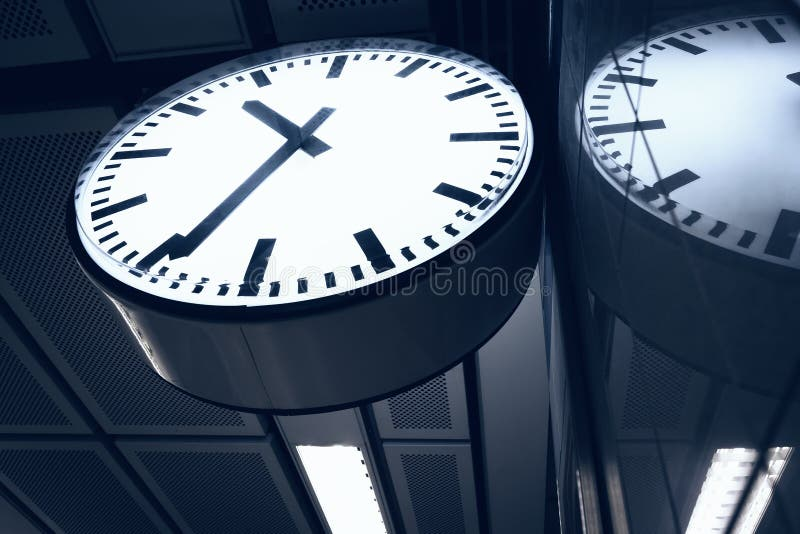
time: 10:34
